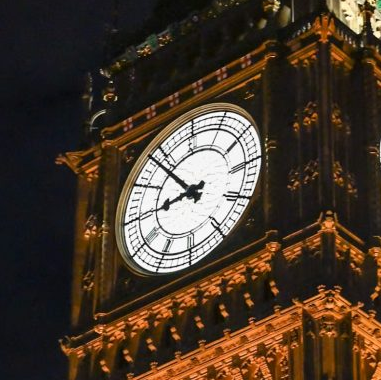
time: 8:53
